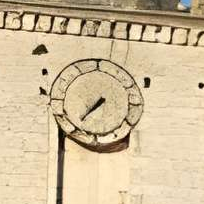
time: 7:37
